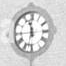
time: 11:32
